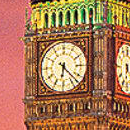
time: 6:22
